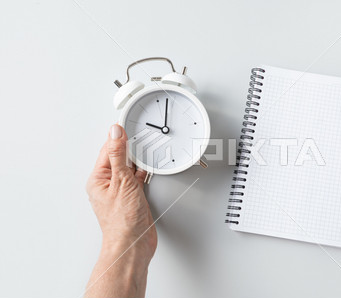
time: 10:02
